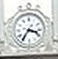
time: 3:35
